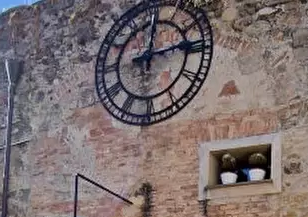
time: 12:13
